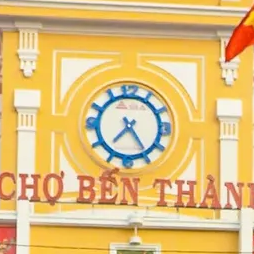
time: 7:24
